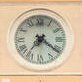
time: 7:21
